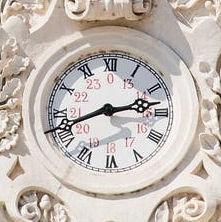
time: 2:41
